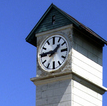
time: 1:45
